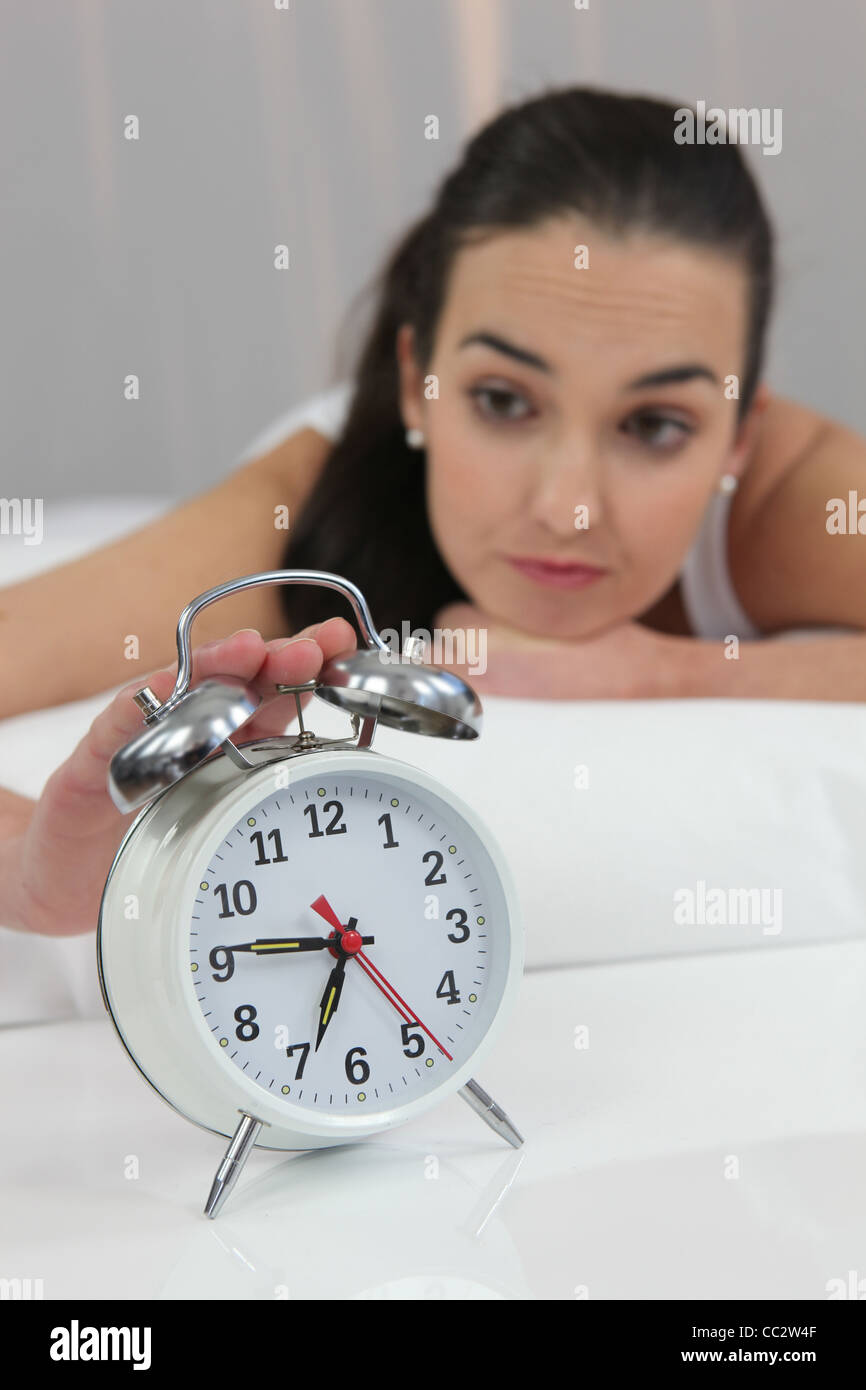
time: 6:46
